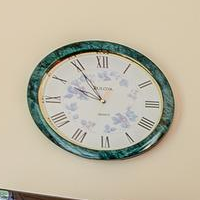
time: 9:54
